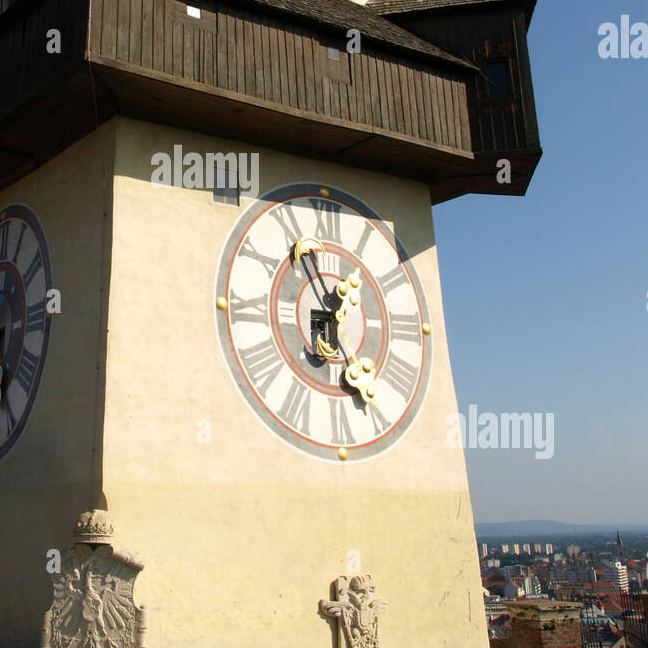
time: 6:56
